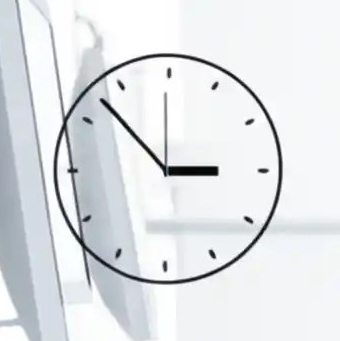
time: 2:52
